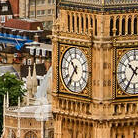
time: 10:36
